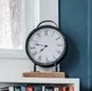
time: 7:47
